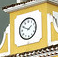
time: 1:49
